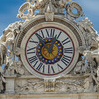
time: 12:53
